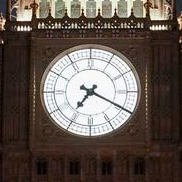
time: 7:19
